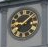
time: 9:07
